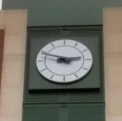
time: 2:48
